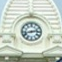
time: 2:42
